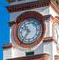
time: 10:36
